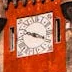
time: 3:48
